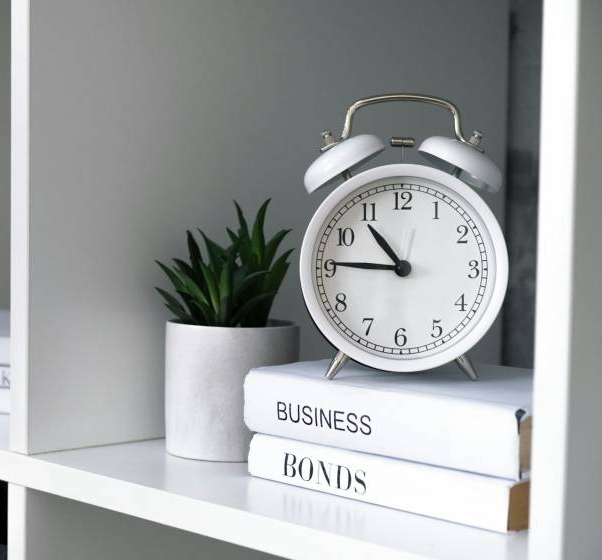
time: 10:45
